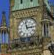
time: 2:58
